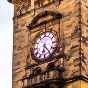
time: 6:23
